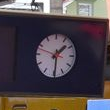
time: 1:29
